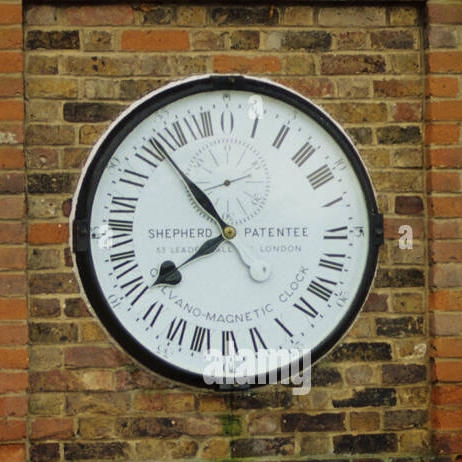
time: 7:53
